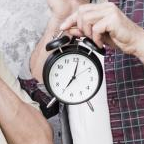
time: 7:01
